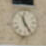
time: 11:24
